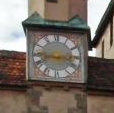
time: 8:16
